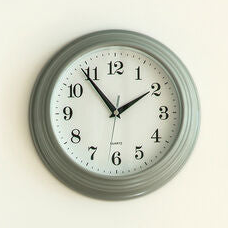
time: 1:53
